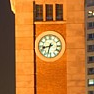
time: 8:32
